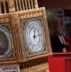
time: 12:13
